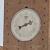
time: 8:11
